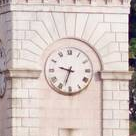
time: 9:33
